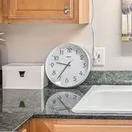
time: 9:35
